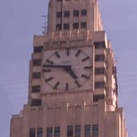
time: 4:46
